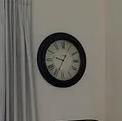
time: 9:34
